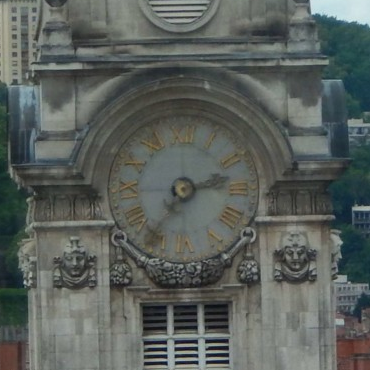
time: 2:36
